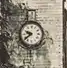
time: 9:38
